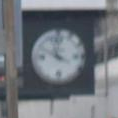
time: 3:58
